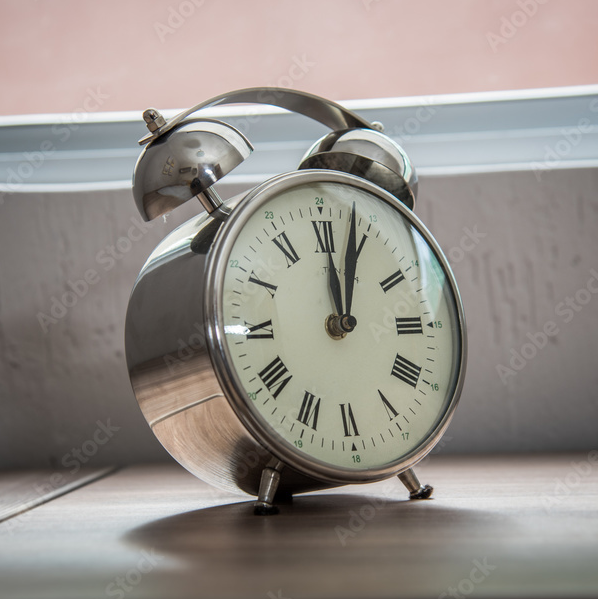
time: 12:03
